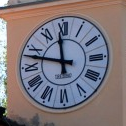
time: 11:47
